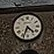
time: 4:34
